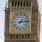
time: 1:13
